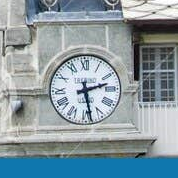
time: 2:28
